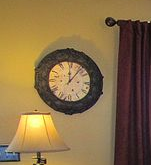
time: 12:06
